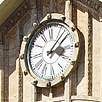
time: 3:09
